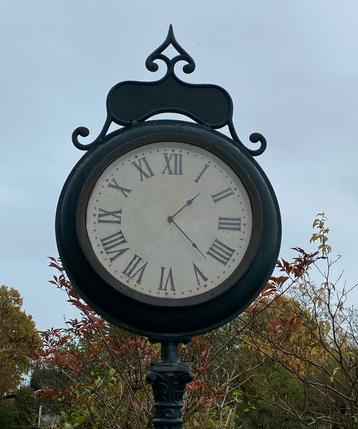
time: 1:22
